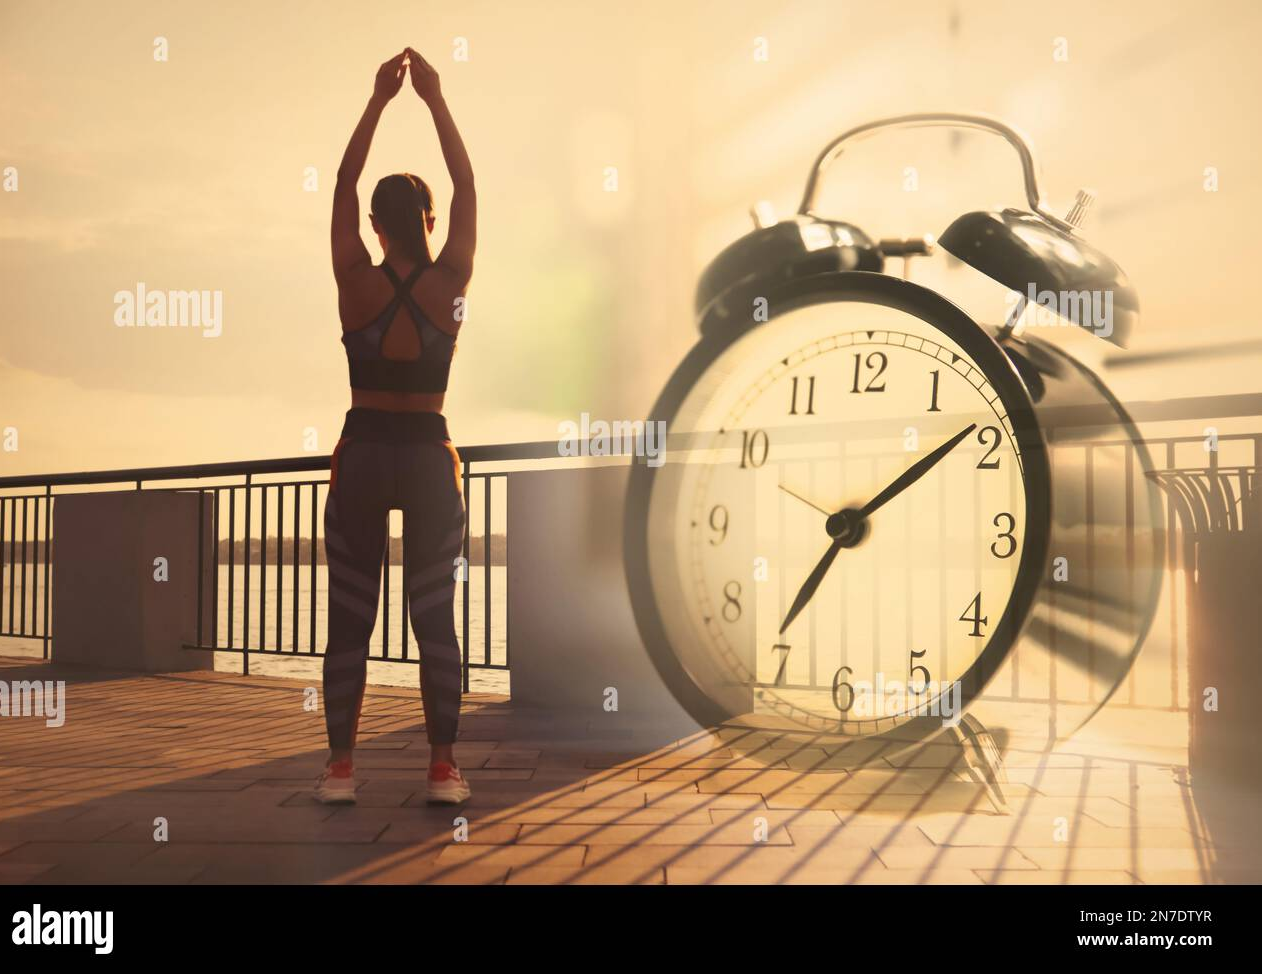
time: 7:09
